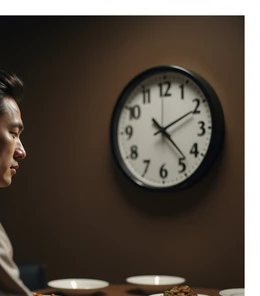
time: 10:22
